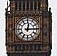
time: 12:14
